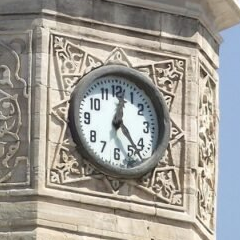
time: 12:23
